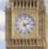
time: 2:25
